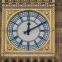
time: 12:10
